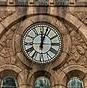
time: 12:03
